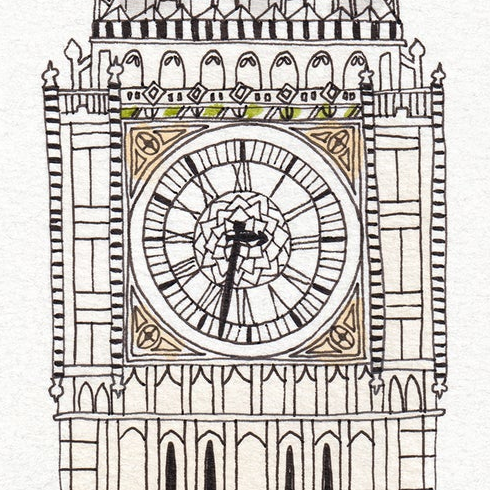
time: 6:32
